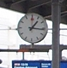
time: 1:16
